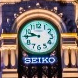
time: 9:44
